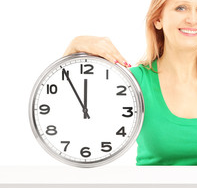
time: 11:55
